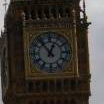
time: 12:53
